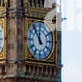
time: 11:53
